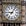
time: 9:05
